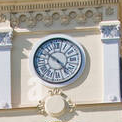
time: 10:23
